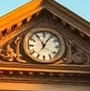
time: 11:05
